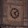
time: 5:08
